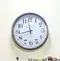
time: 11:43
